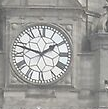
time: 1:48
